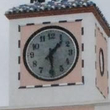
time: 1:29
